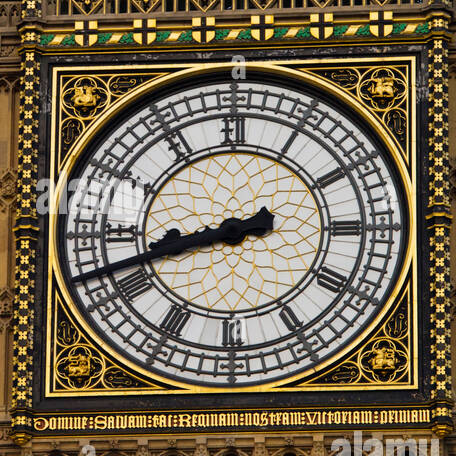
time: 8:41
